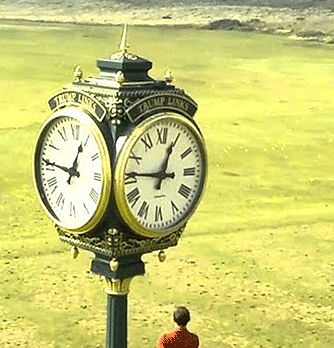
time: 12:46
